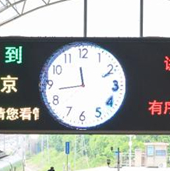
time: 11:42
